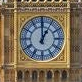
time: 1:00
